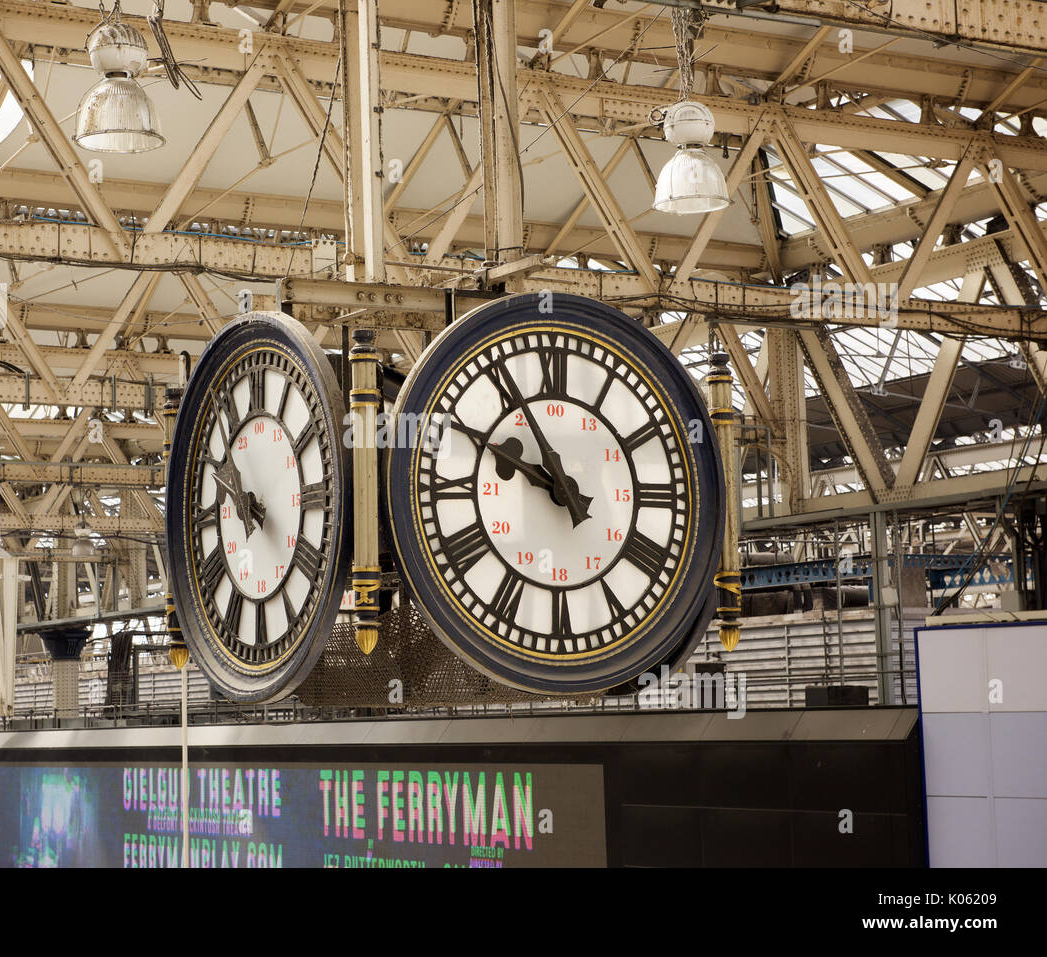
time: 9:54
